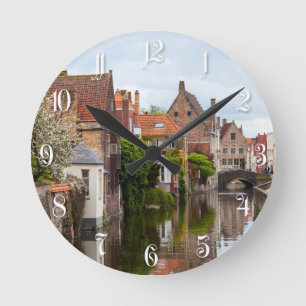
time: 10:09
